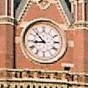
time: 8:52
